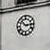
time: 2:52
